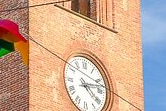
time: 4:12
